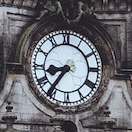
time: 8:36
